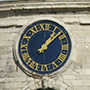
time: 1:08
